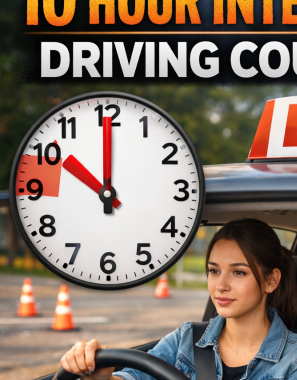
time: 10:00
